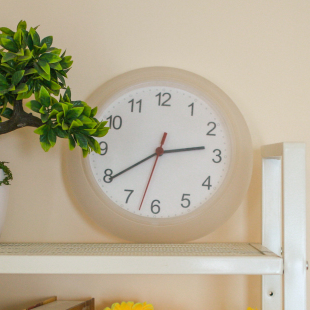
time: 2:39
